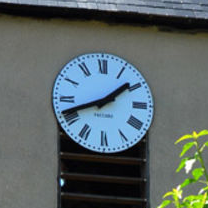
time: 1:41
